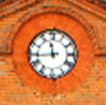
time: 11:44
